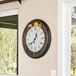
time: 12:38
